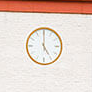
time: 4:59
